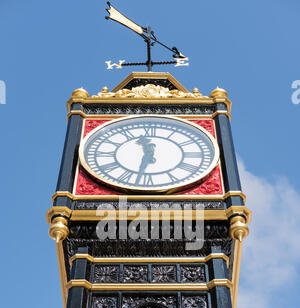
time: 11:32
